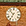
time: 6:52
